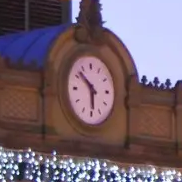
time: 5:51
